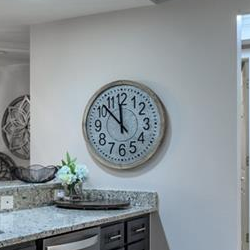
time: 11:52
